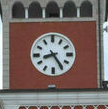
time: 8:24
